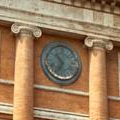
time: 10:34
